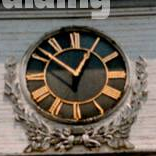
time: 10:04
